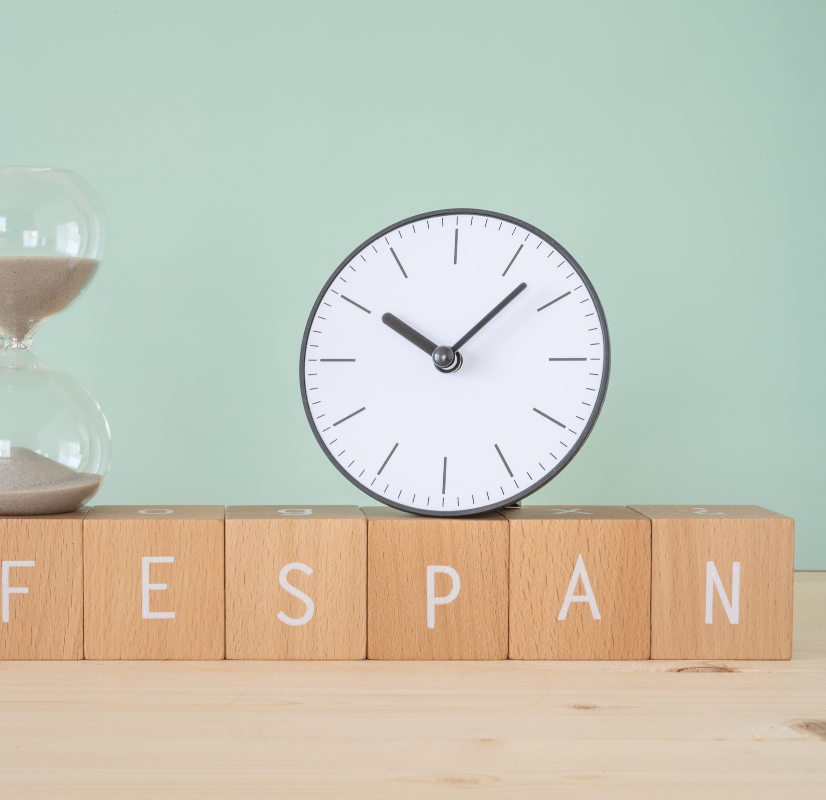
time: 10:07
